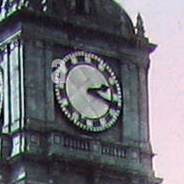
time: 2:18
